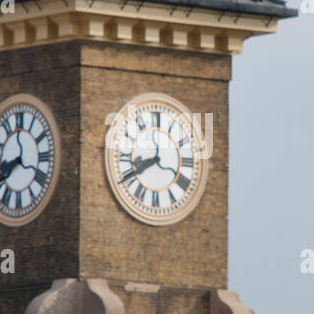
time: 8:40
